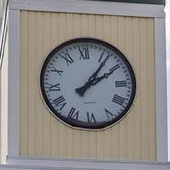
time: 2:06
